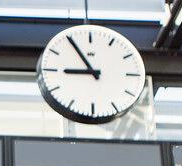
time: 8:54
